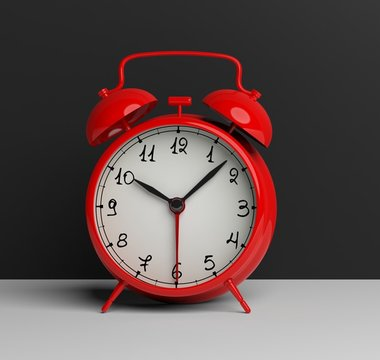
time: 10:07
